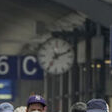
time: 7:11
